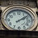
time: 2:09
